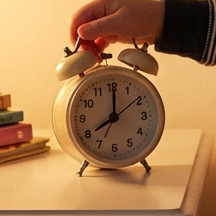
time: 8:00
